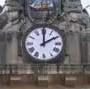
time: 2:00
